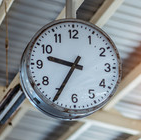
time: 9:34
